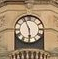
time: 5:55
